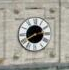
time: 2:40
